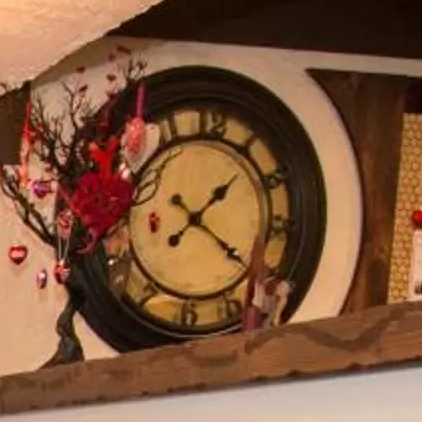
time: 1:20
